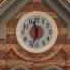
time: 11:32
